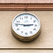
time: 2:46
